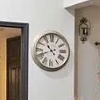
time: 10:41
